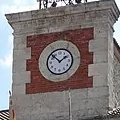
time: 1:52
